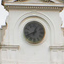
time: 12:41
